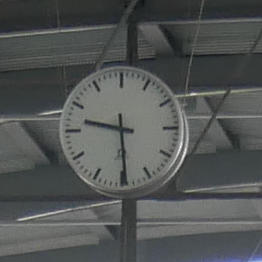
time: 9:29
